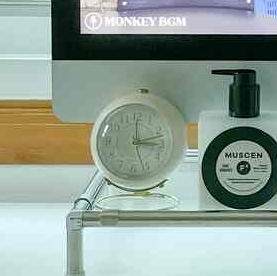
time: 3:12
